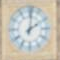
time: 2:01
